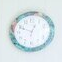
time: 12:48
